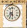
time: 5:34
